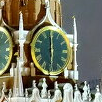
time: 5:59
